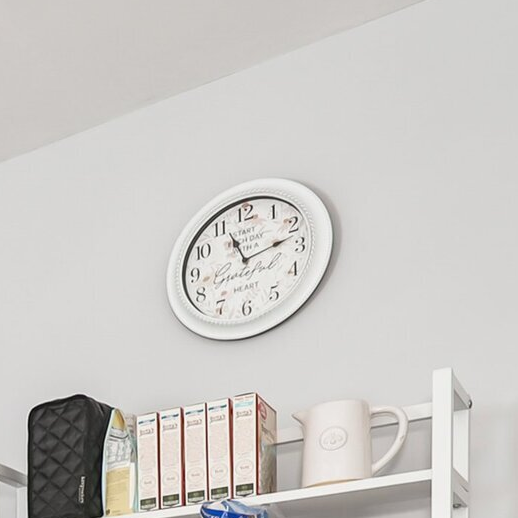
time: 11:12
